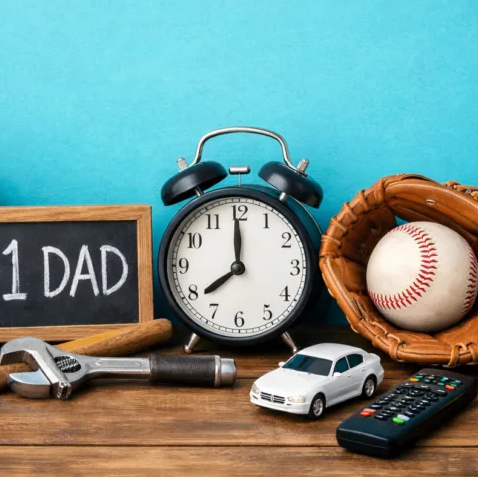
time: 7:59
